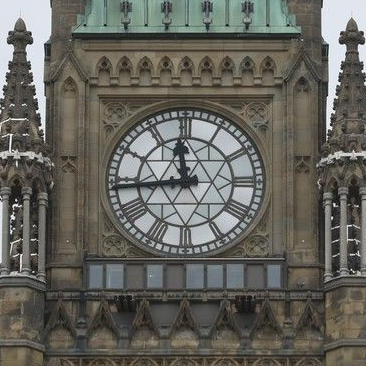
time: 11:43
